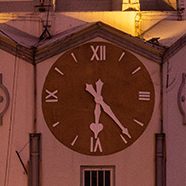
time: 6:23
